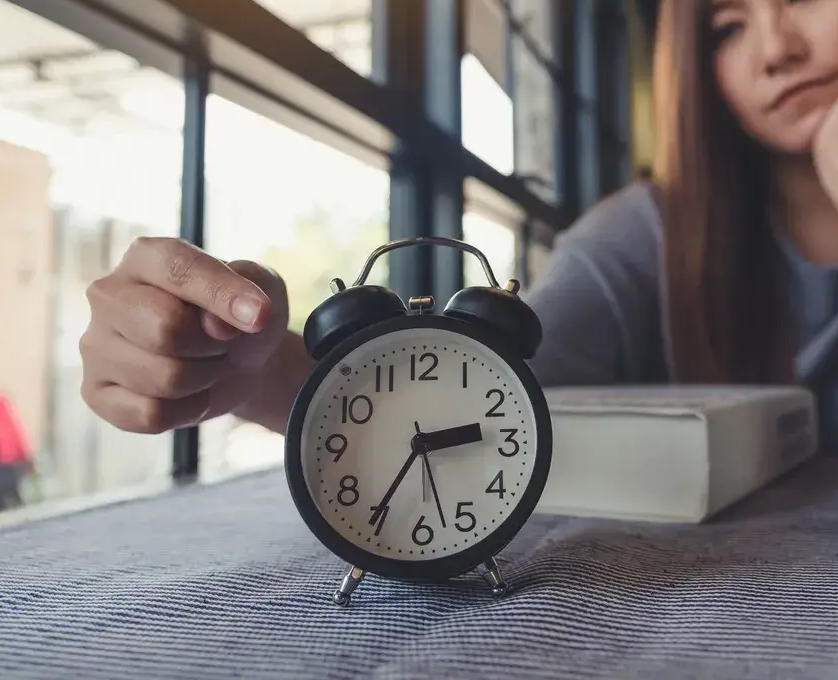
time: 2:35
